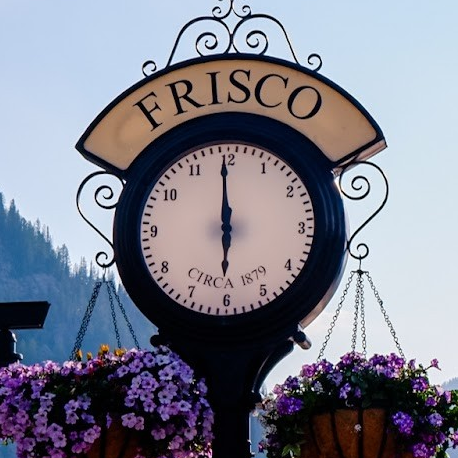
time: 5:59
